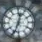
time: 12:33
